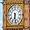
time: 6:28
